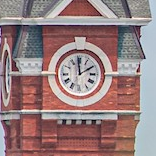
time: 1:59
